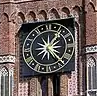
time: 1:22
